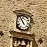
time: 10:53
